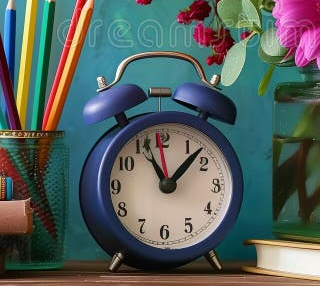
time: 11:07
